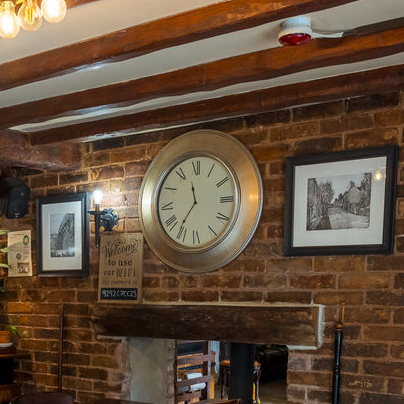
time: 11:36
